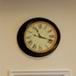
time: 11:18
